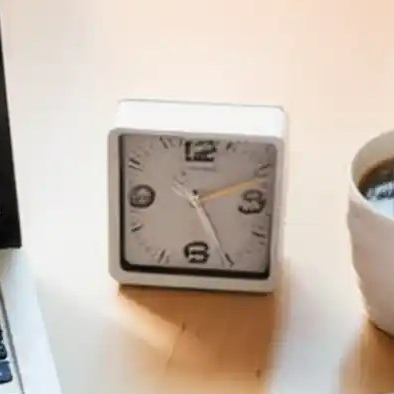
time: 5:11
